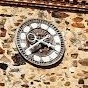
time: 3:38
